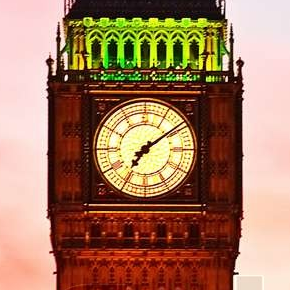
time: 7:09
